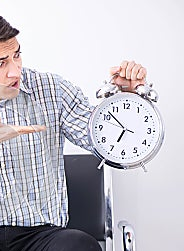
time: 6:52
